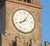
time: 8:06
